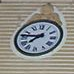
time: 7:46
